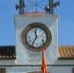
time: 11:35
